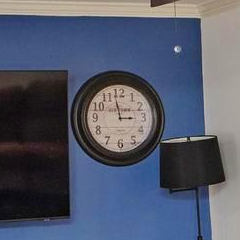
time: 2:58
